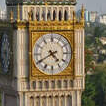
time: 4:40
